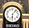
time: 6:06
